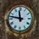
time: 11:46
